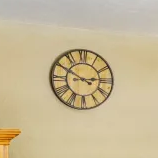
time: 2:50
